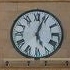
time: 5:03
